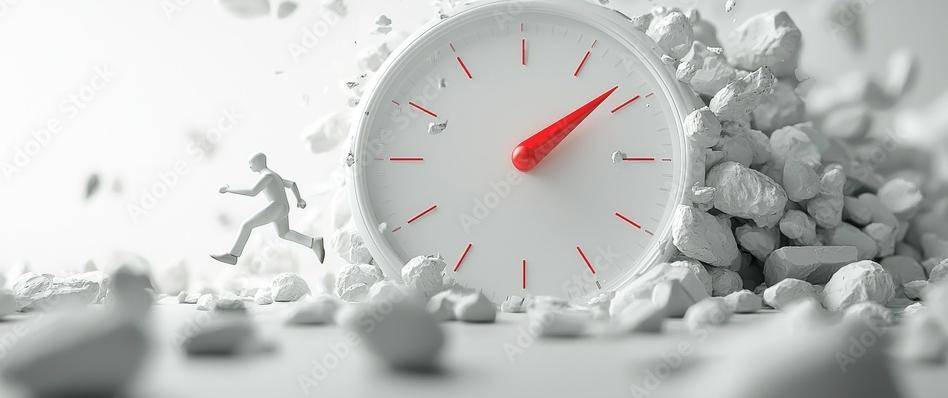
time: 2:09
